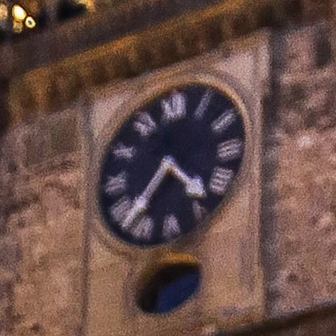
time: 4:35
